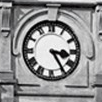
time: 3:24
